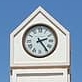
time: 2:23
